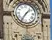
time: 1:36
